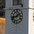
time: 1:43
